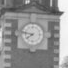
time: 7:46
